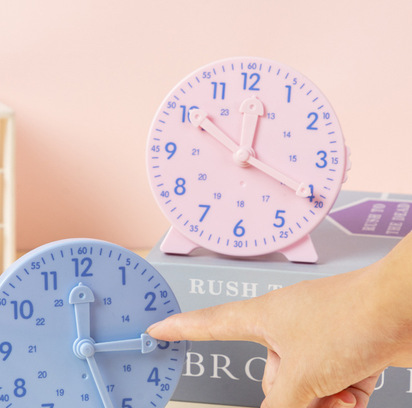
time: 12:20
